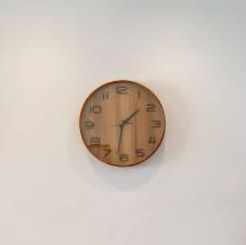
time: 1:32
